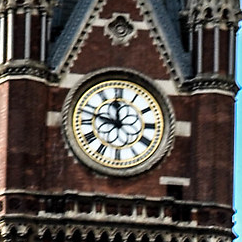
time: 11:47
